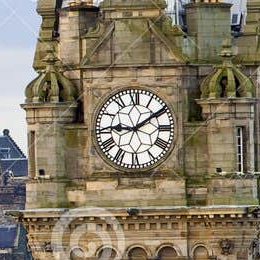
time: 9:09
